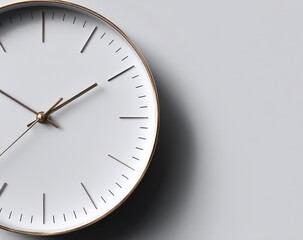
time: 1:50
